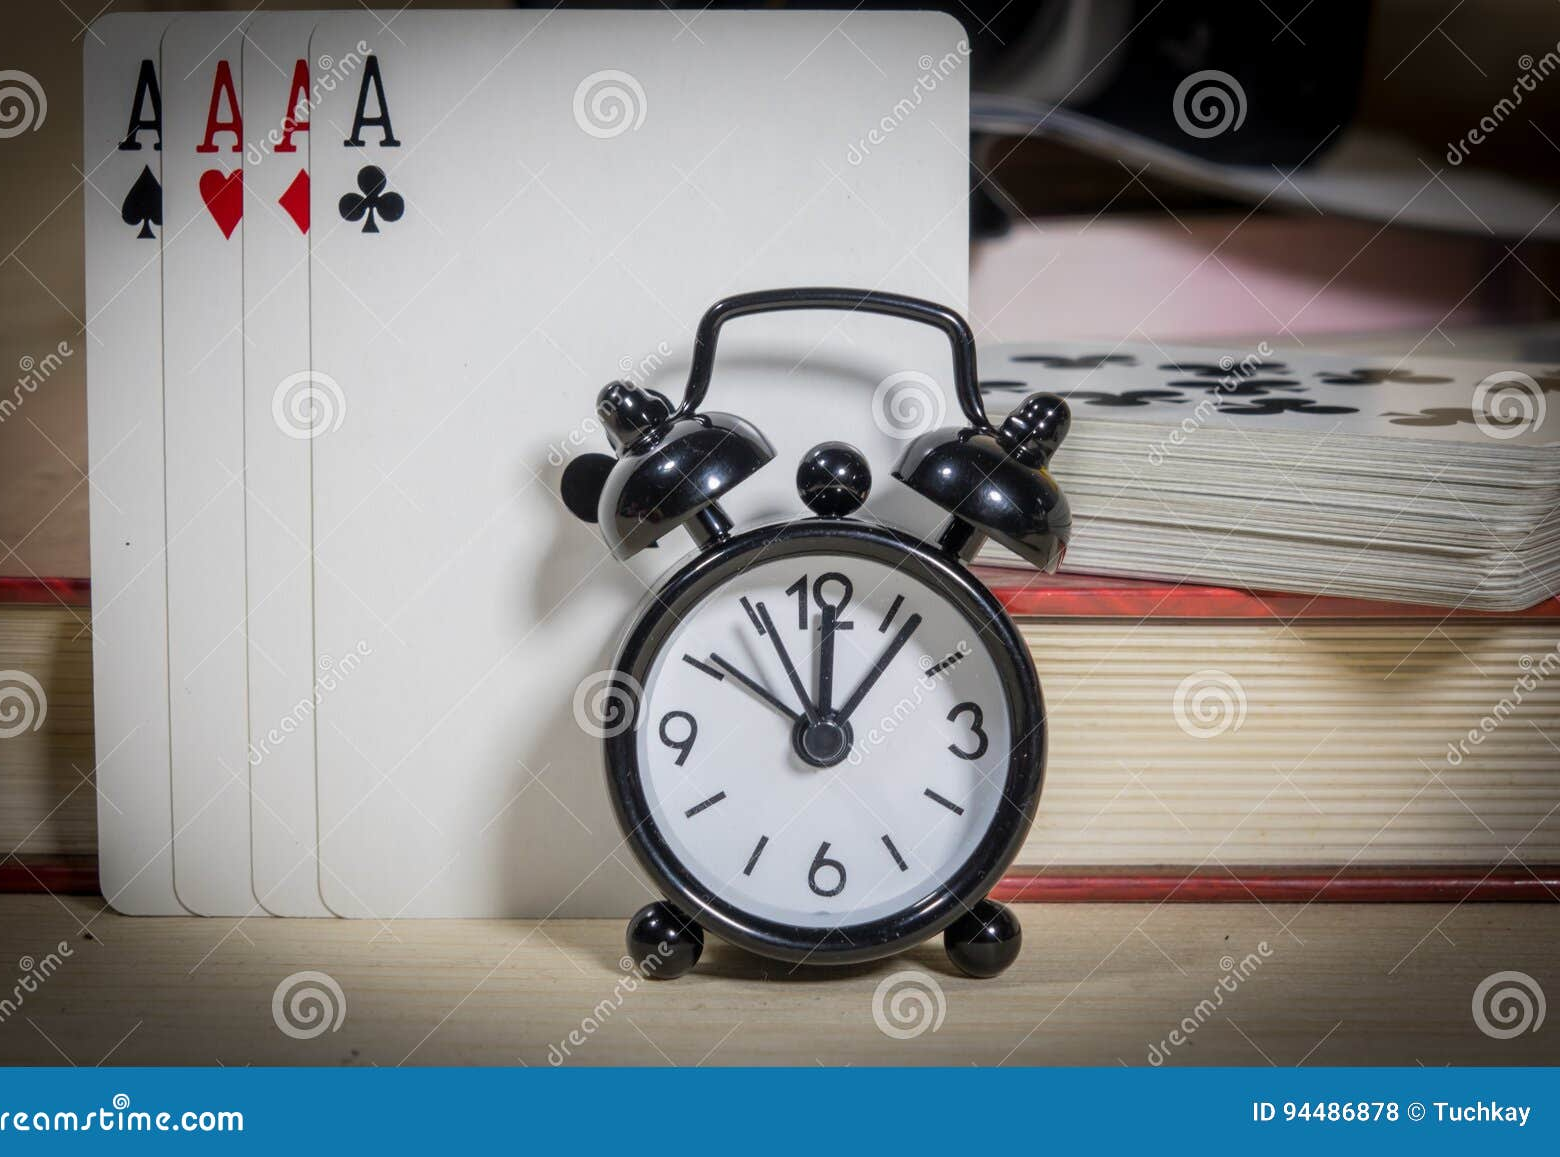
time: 12:06
